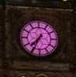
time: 7:34
